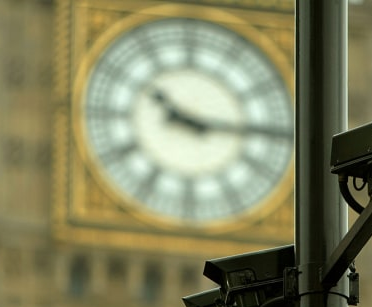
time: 10:15
